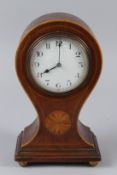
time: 8:00
